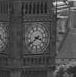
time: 3:38
